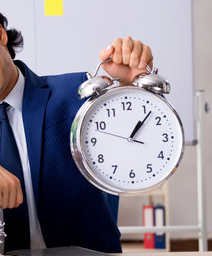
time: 1:06
